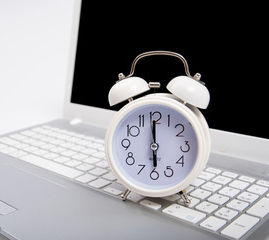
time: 5:59
